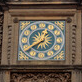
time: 12:40
